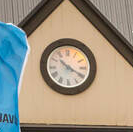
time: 10:19
